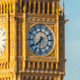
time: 7:31
